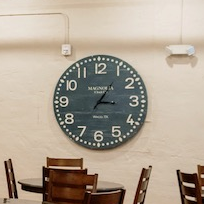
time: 3:05
